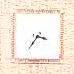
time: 3:35
